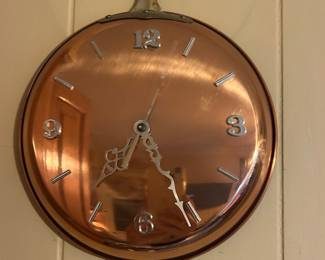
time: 7:25
